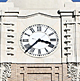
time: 3:37
